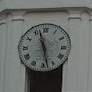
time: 11:28
